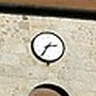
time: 2:35
